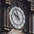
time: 9:57
